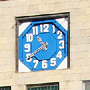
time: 10:40
